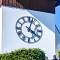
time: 4:03
